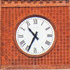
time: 10:34
